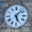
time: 5:07
